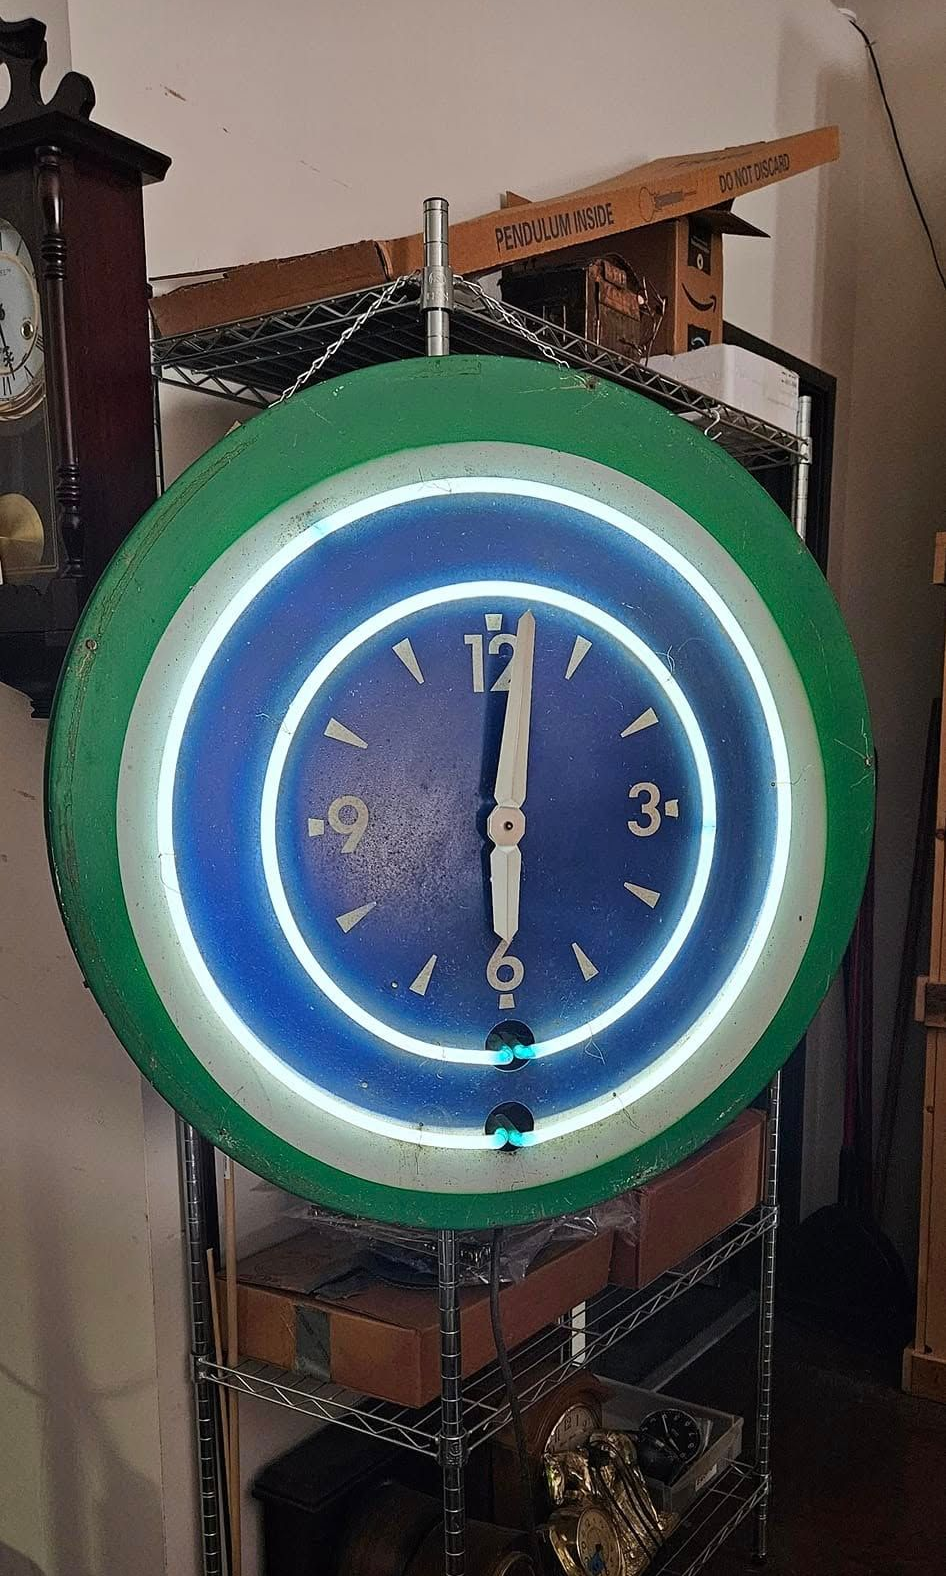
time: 6:01
